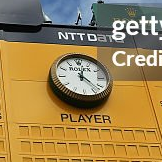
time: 12:22
